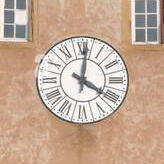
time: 4:01
